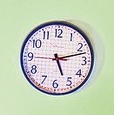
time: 5:12
